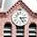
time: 5:14
